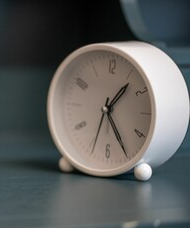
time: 1:24
